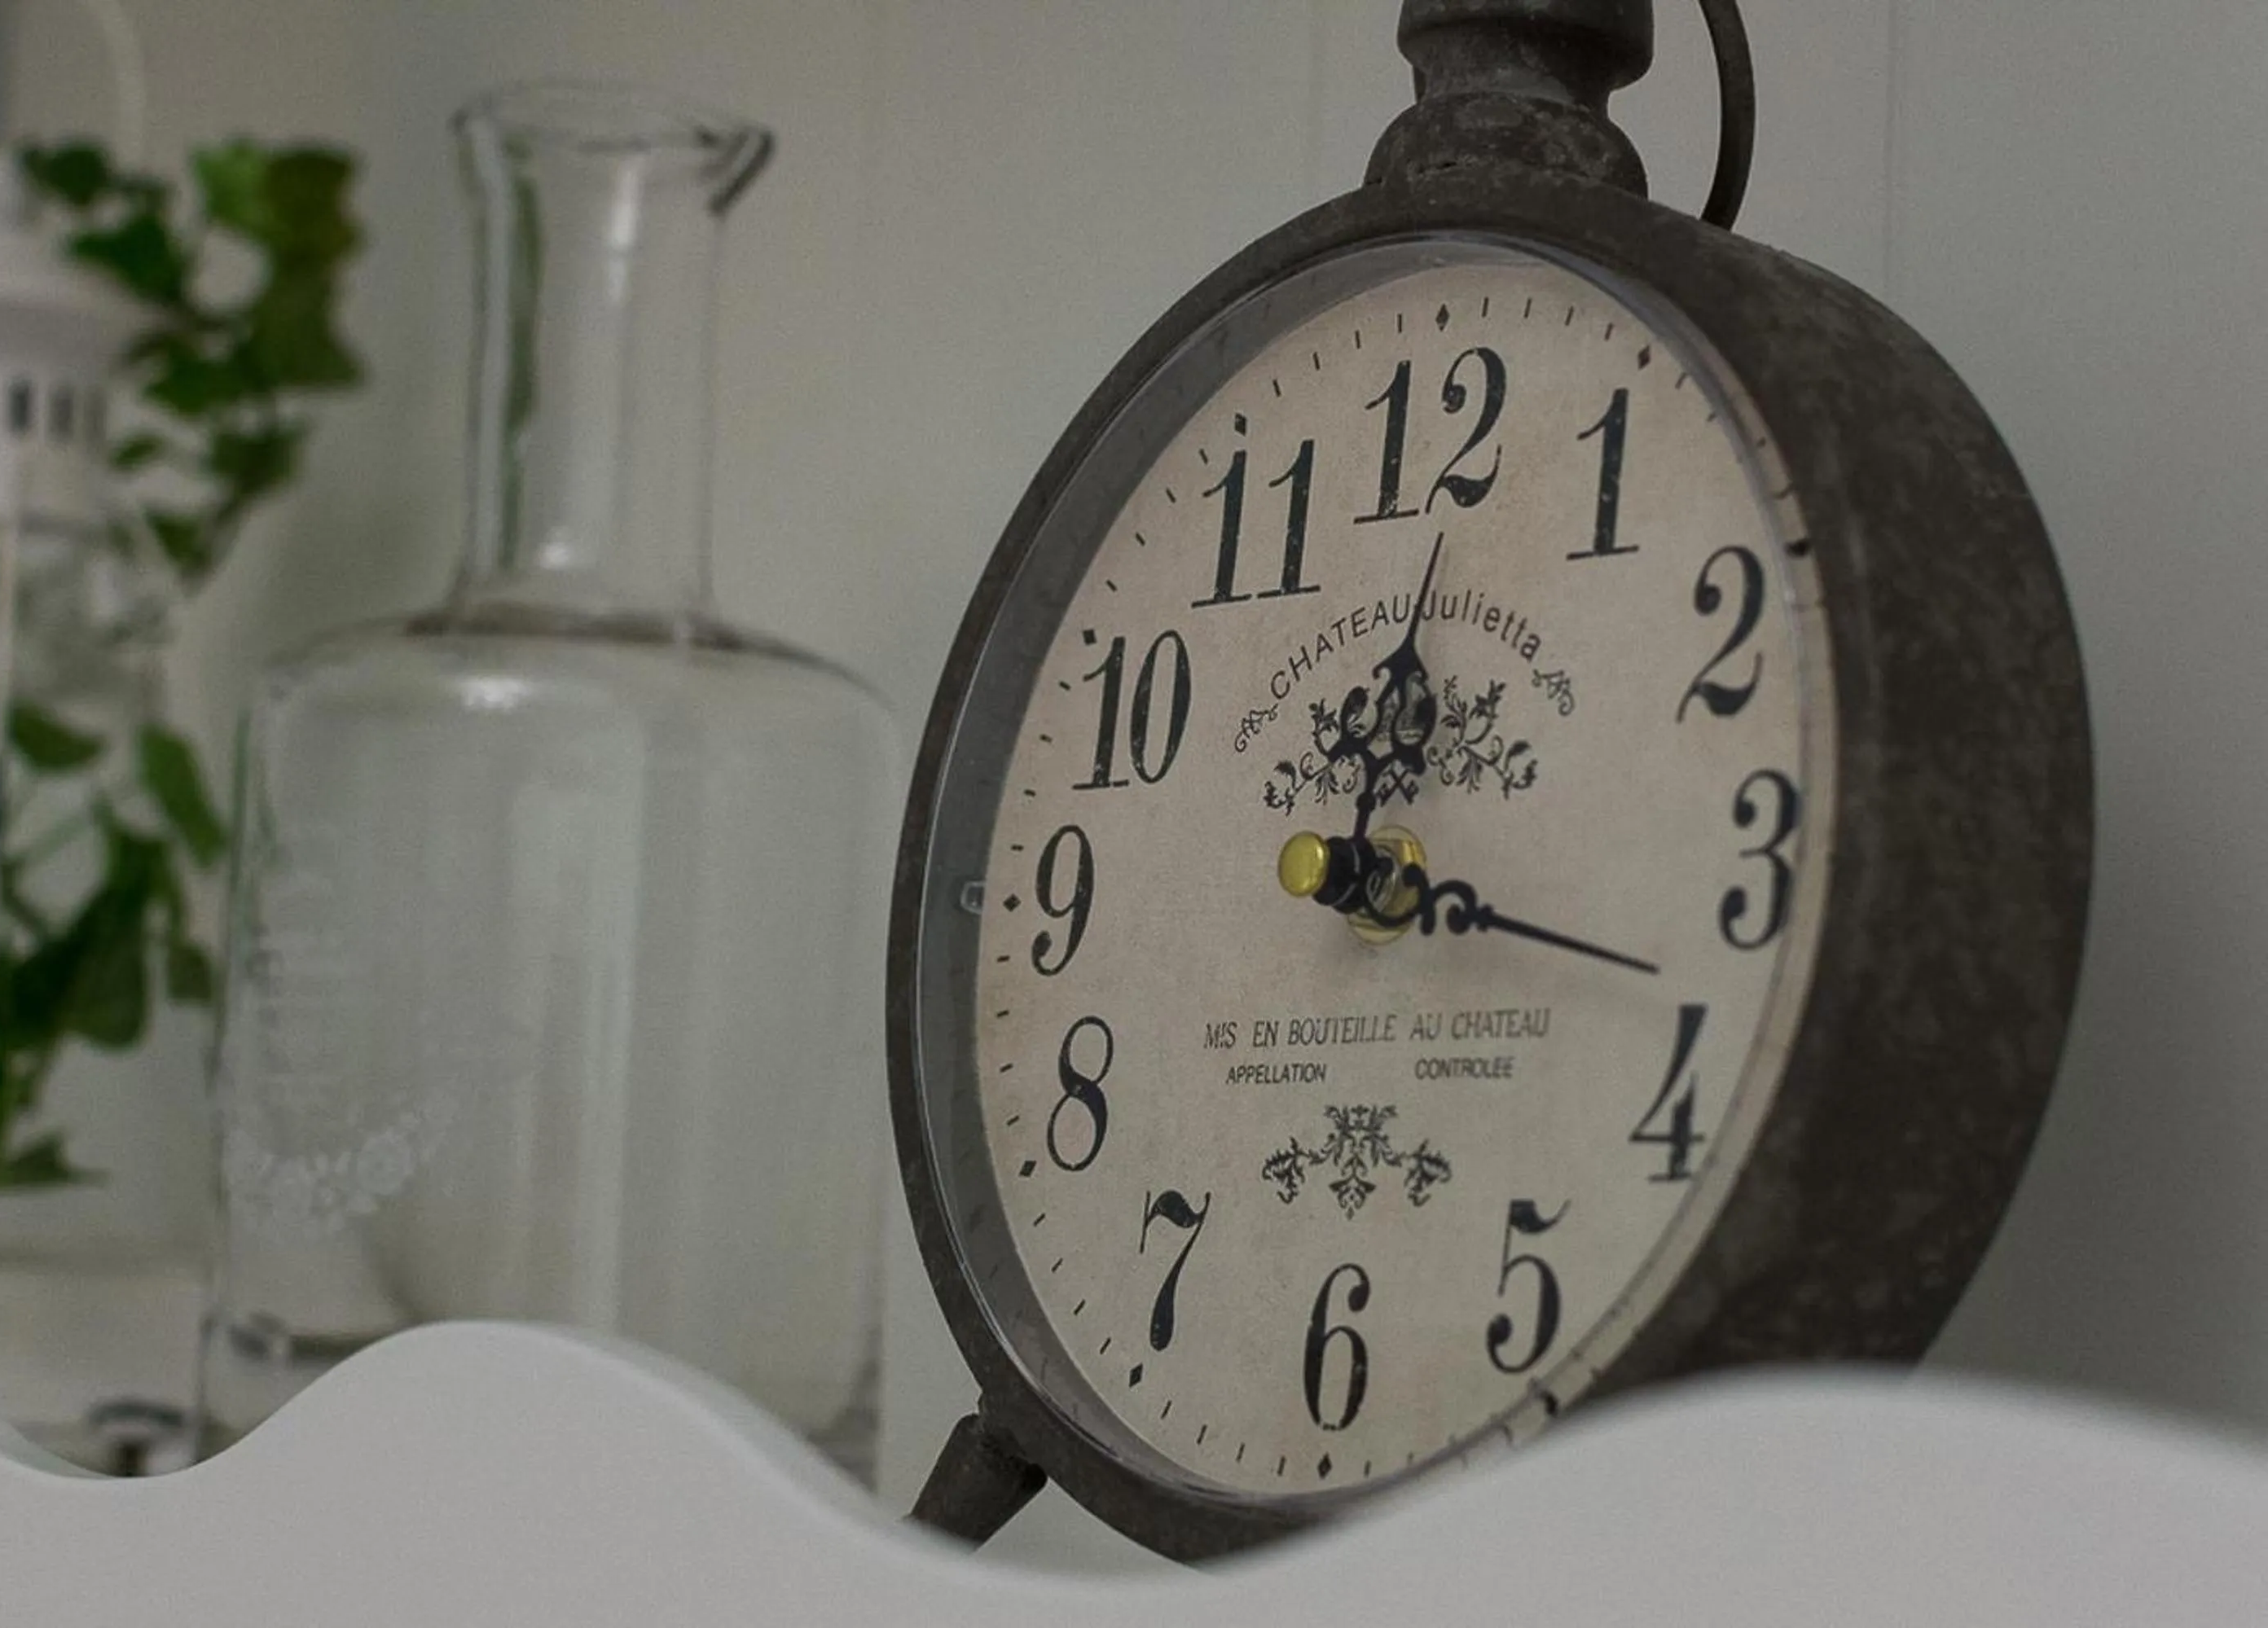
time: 12:17
